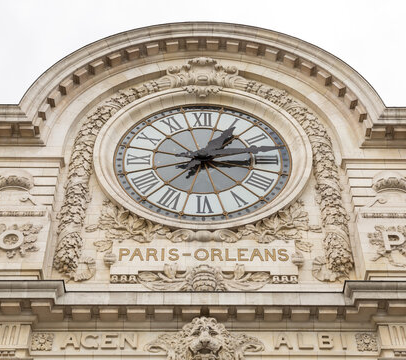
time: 1:13
